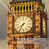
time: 7:35
